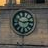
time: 2:48
